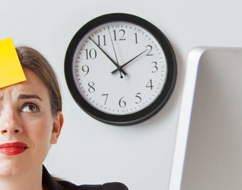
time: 1:53
